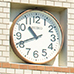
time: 10:41
